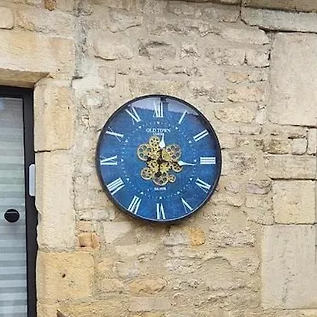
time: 12:16
